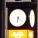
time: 6:21
